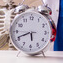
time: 5:41
